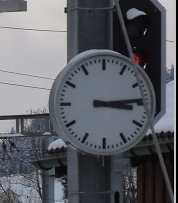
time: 3:14
